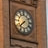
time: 7:37
